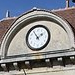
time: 1:54
